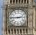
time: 2:45
